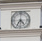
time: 4:35
